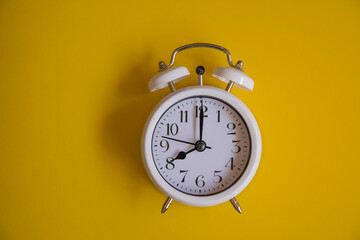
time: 8:00
